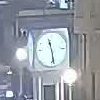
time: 11:28
